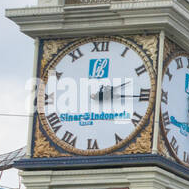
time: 2:15
